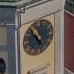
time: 4:52
